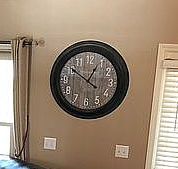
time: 12:50
